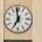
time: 6:58
